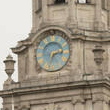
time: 2:32
